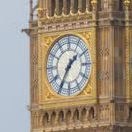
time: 1:34
